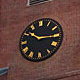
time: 10:15
